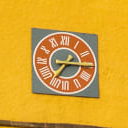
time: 7:15
